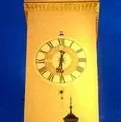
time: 6:30
